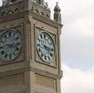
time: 4:16
